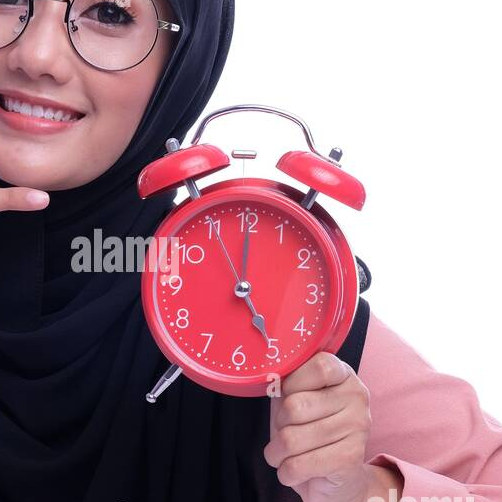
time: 5:00
